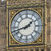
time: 1:42
